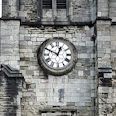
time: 12:49
